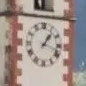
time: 1:18
